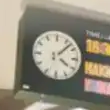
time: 4:07
